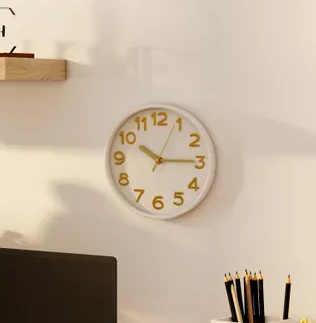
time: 10:14
